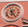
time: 6:23
